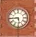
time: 5:44
